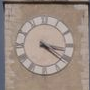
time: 3:21
